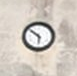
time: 5:51
